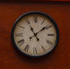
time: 11:08
